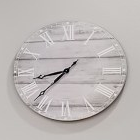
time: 8:37
